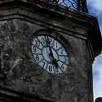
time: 4:59
